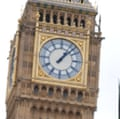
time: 1:07
